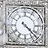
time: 4:22
